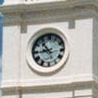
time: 8:53
